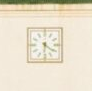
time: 6:21
